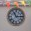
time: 11:14
